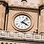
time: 4:07
